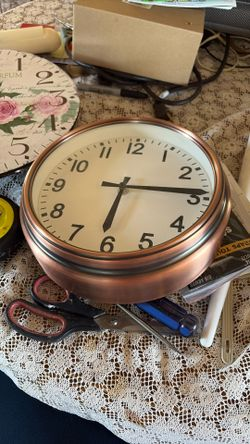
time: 6:14
